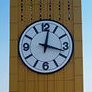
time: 12:17
